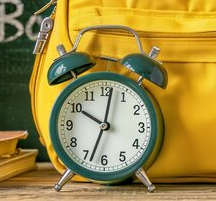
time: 10:01
